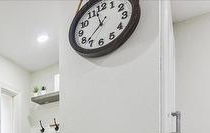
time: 11:37
